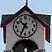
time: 10:34
